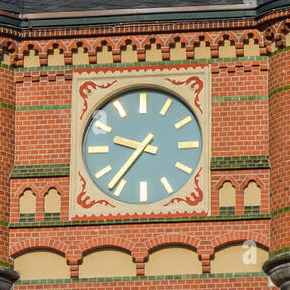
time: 9:36
